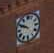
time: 9:50
